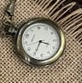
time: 3:34
